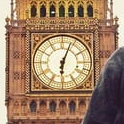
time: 6:03
